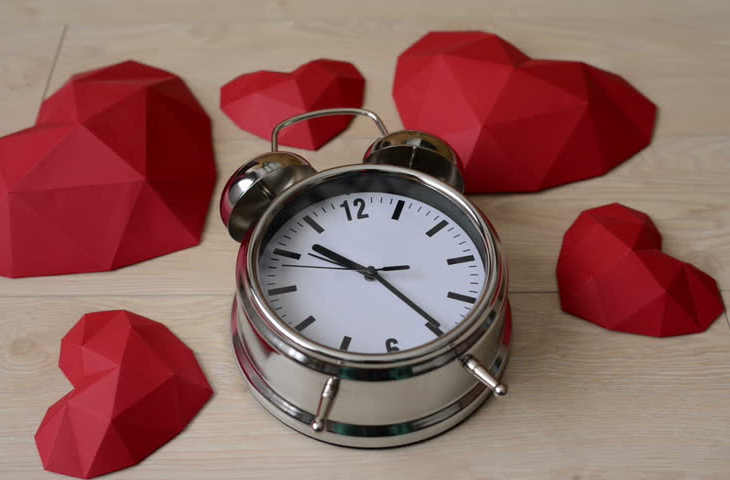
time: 10:24
